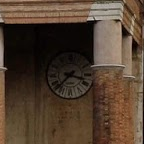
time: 3:37
